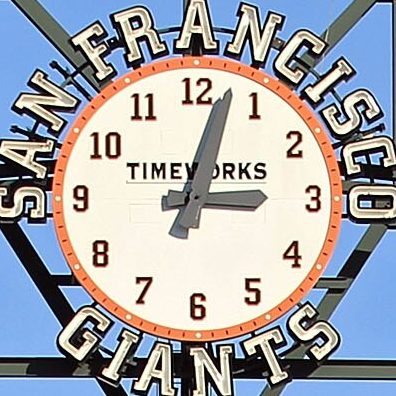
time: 3:02
